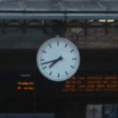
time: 7:42
